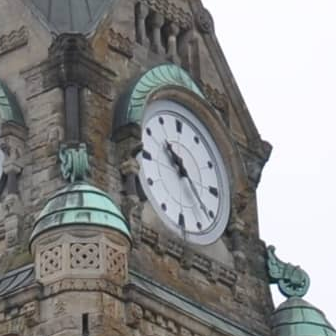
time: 10:21
